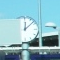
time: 12:07
